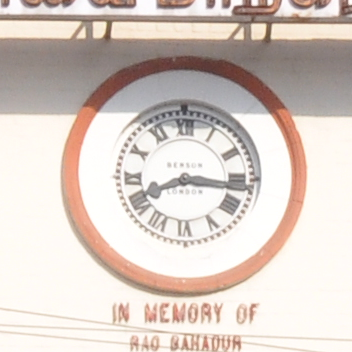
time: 8:16
